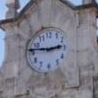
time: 2:46
